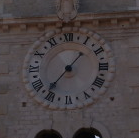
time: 1:36
